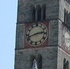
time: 2:42
